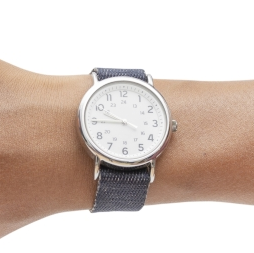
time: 9:44
